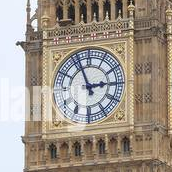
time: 2:56
